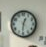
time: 12:31
